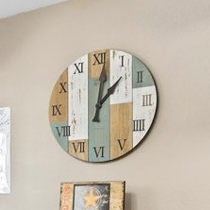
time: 1:01
